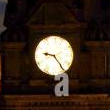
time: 9:23
